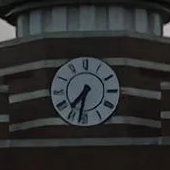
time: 7:32
